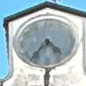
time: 4:35
